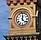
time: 12:22
